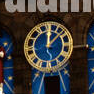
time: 12:07
